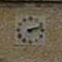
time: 2:12
